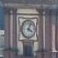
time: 4:04
